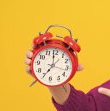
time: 6:58
